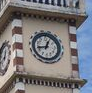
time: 12:43
